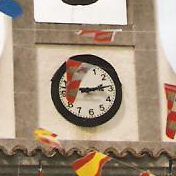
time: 3:14
